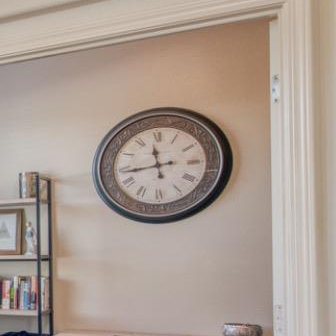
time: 11:43
